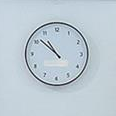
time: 10:51
